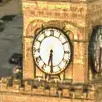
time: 6:29
